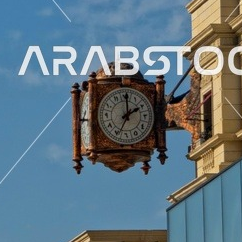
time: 2:01
